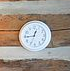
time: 12:44
